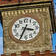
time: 3:34
